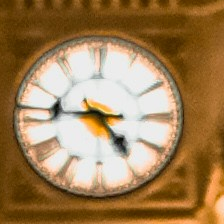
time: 4:46
